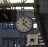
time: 1:21
